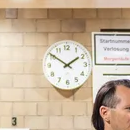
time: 1:50
